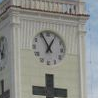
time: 12:55
